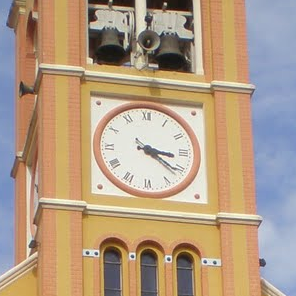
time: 3:21
